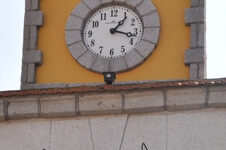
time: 1:17
